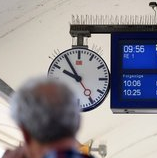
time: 9:54
